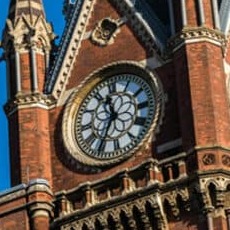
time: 11:35
